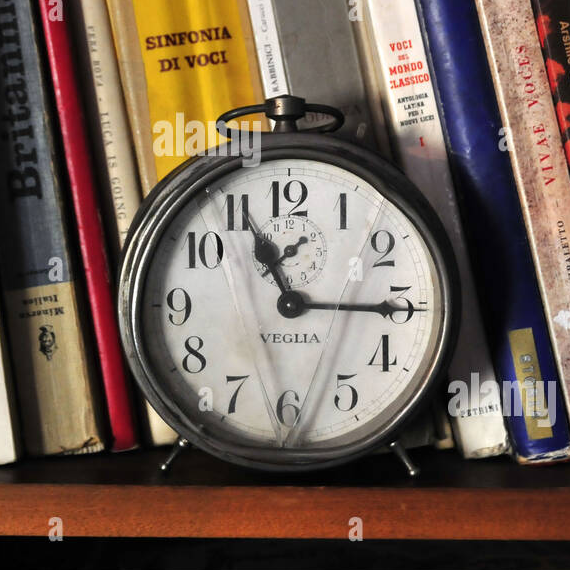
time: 11:15
